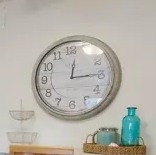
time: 12:14
